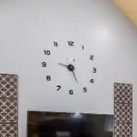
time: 9:26
